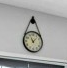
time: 11:07
